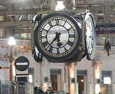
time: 5:36
